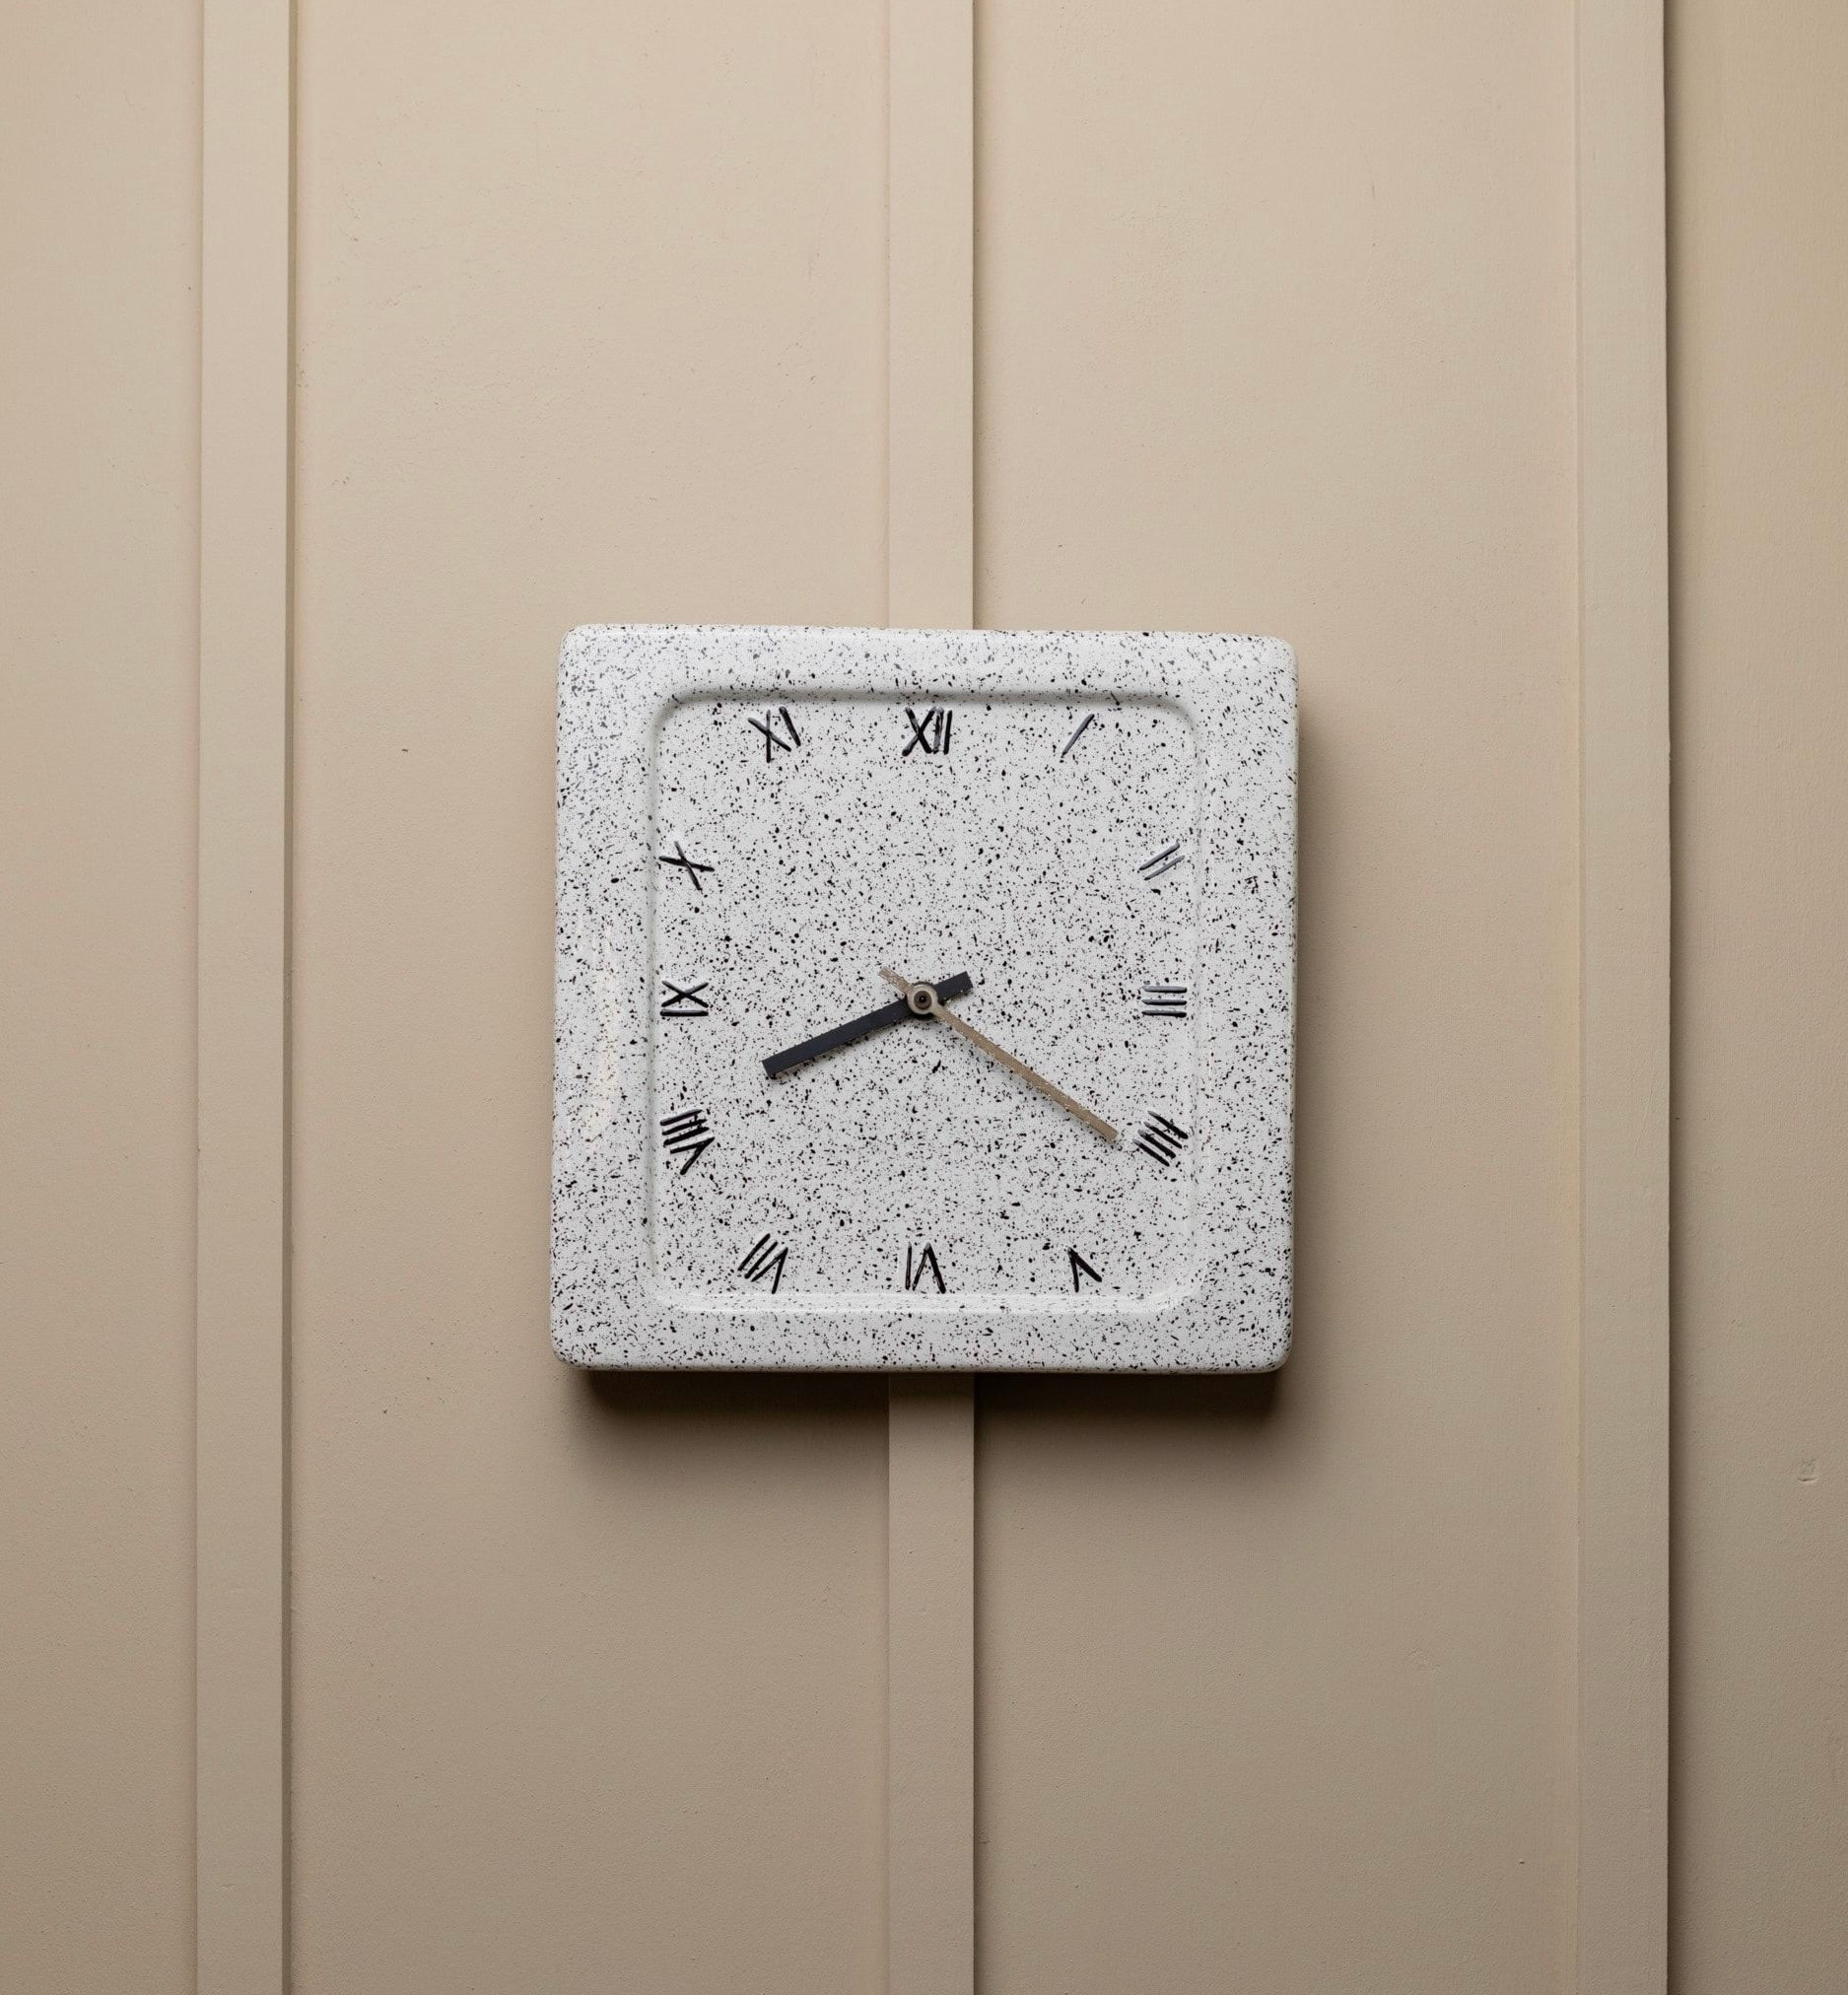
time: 8:20
